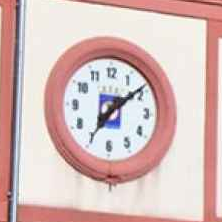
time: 7:08
